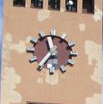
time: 11:35
